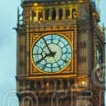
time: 7:54
